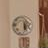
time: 5:30
